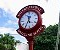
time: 11:34
